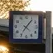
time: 7:06
